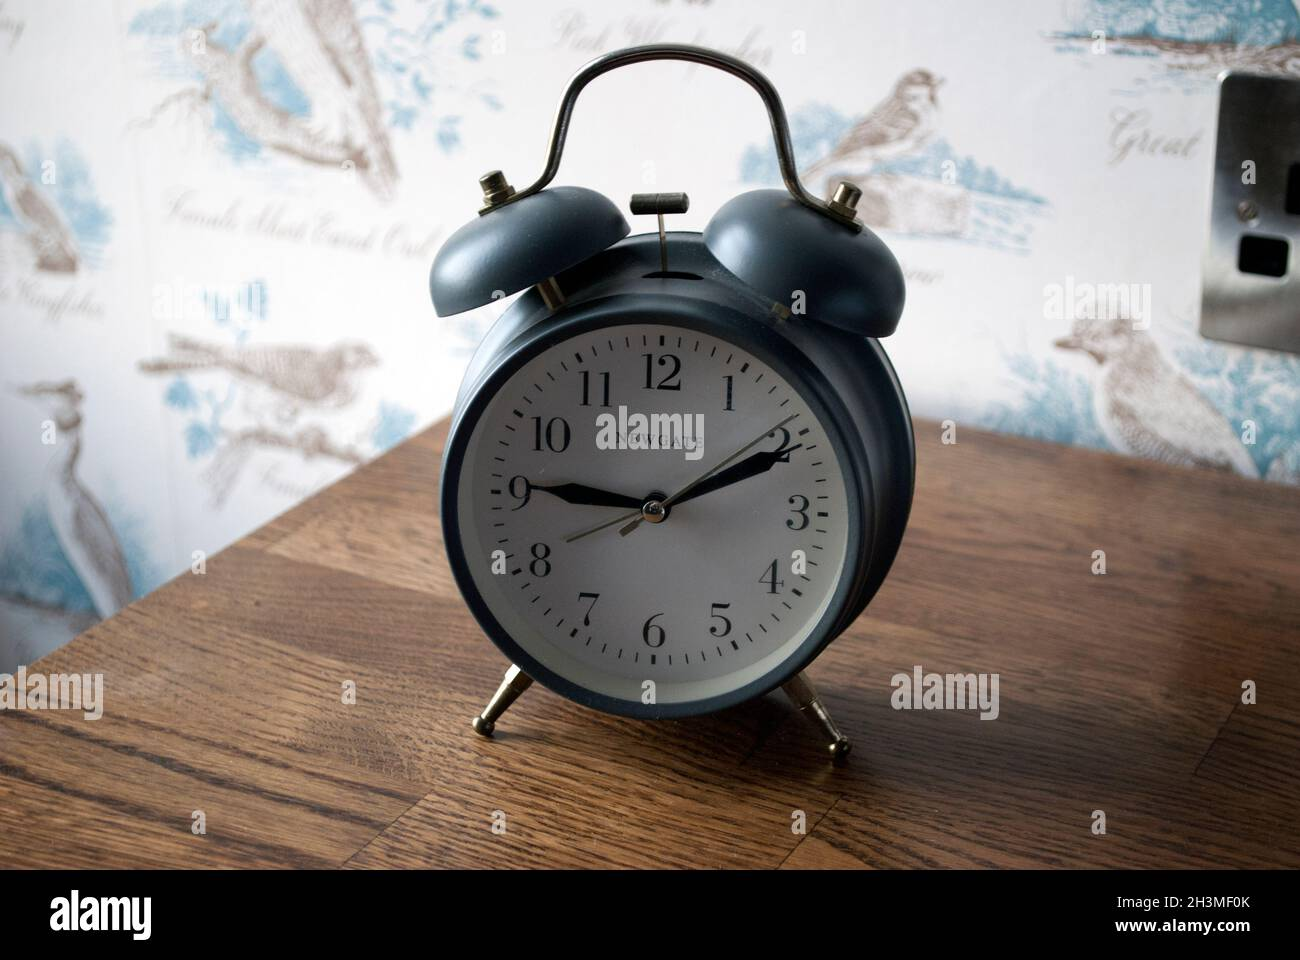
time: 9:10
